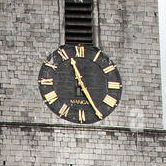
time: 11:25
